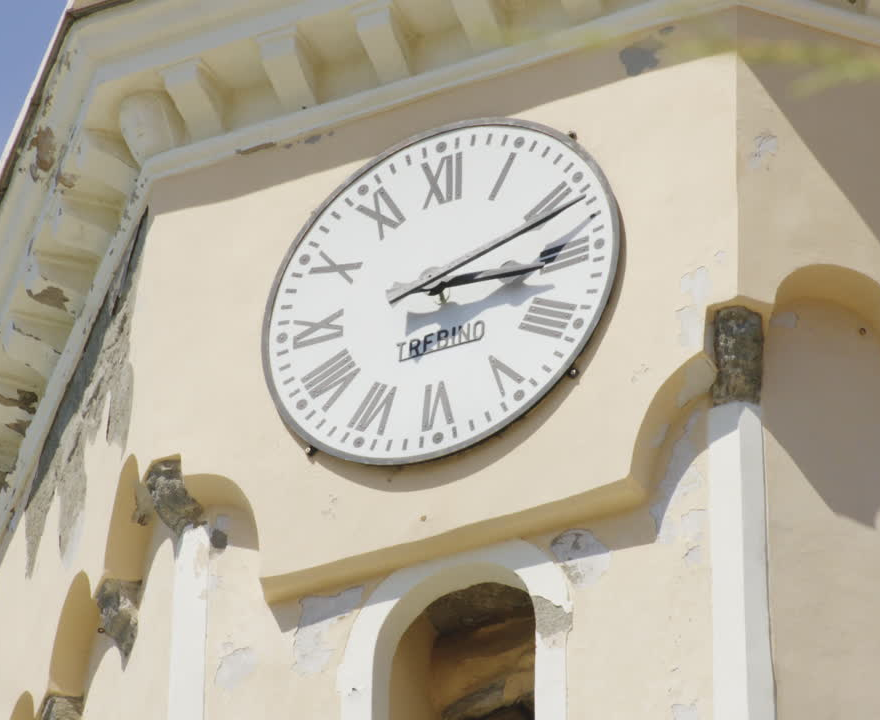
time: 3:11
